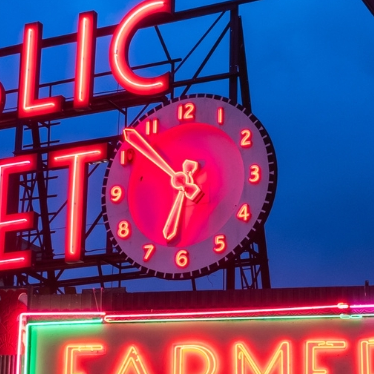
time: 6:52
